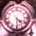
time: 4:29
